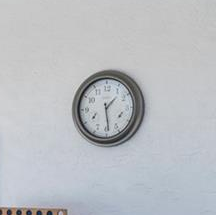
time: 1:28
